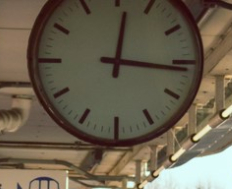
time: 12:16
